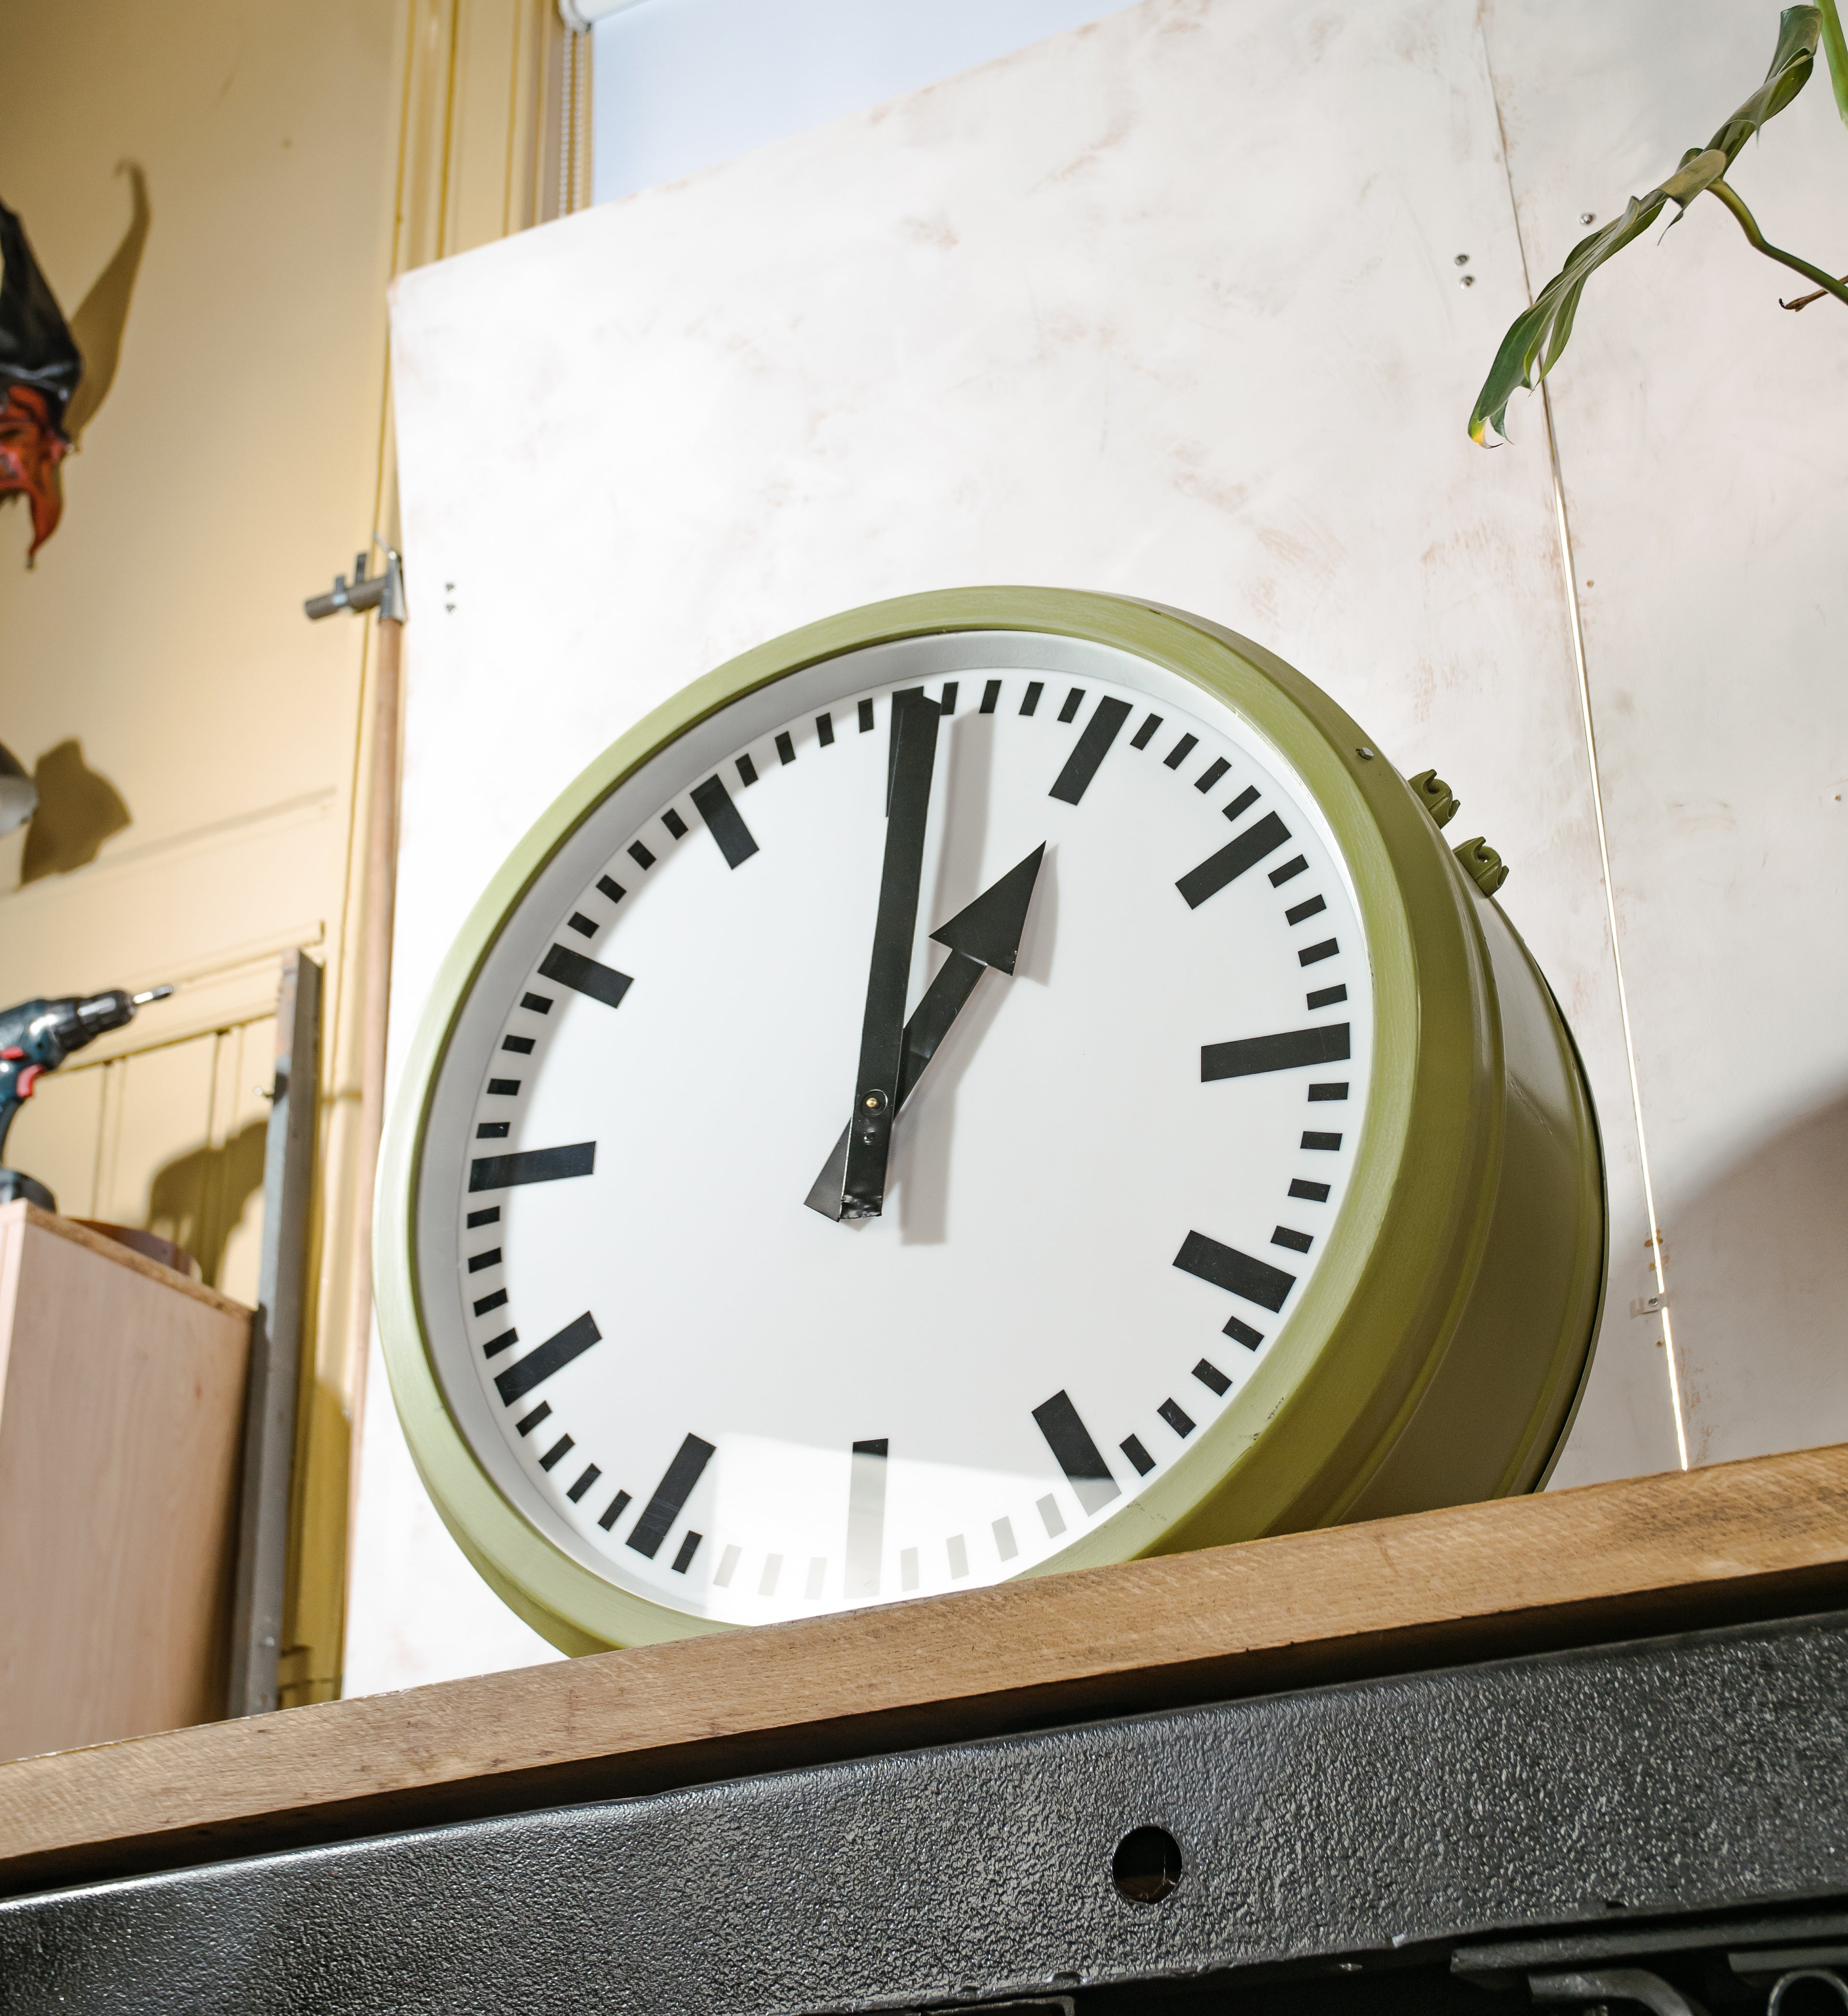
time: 1:00
